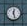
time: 12:27
